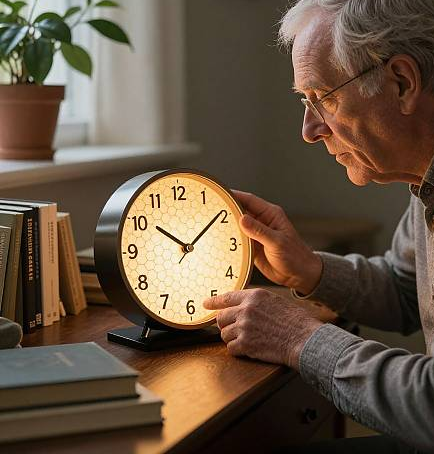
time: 10:09
